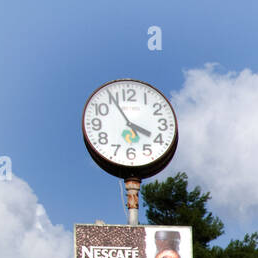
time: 3:55
